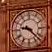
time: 9:22
